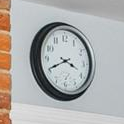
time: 3:40
